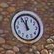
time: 11:55
